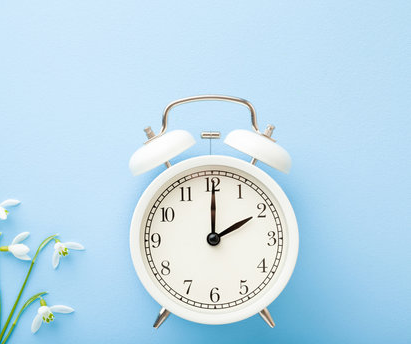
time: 2:00
